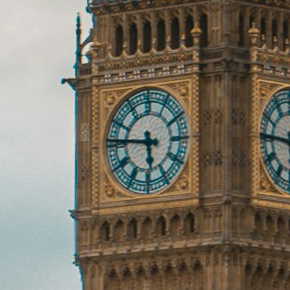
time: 5:46
